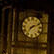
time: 7:11
